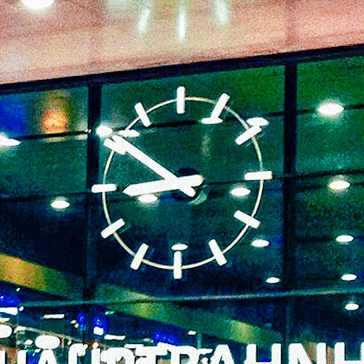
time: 8:51
